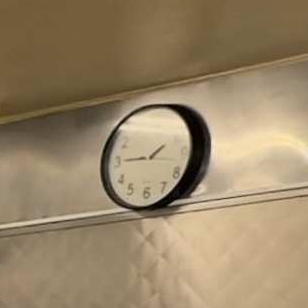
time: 1:45
